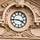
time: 3:45
